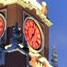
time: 7:03
